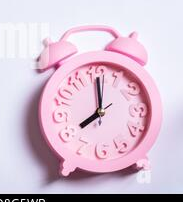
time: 8:00
